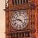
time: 9:22
